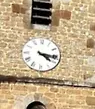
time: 4:16
